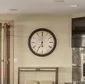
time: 7:00
